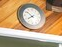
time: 7:51
